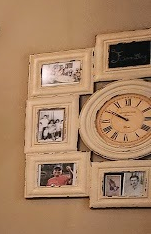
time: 9:50
